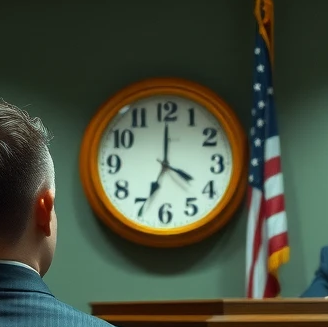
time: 4:00
